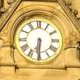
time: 6:30
